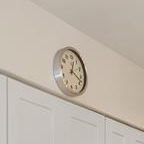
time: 12:18
